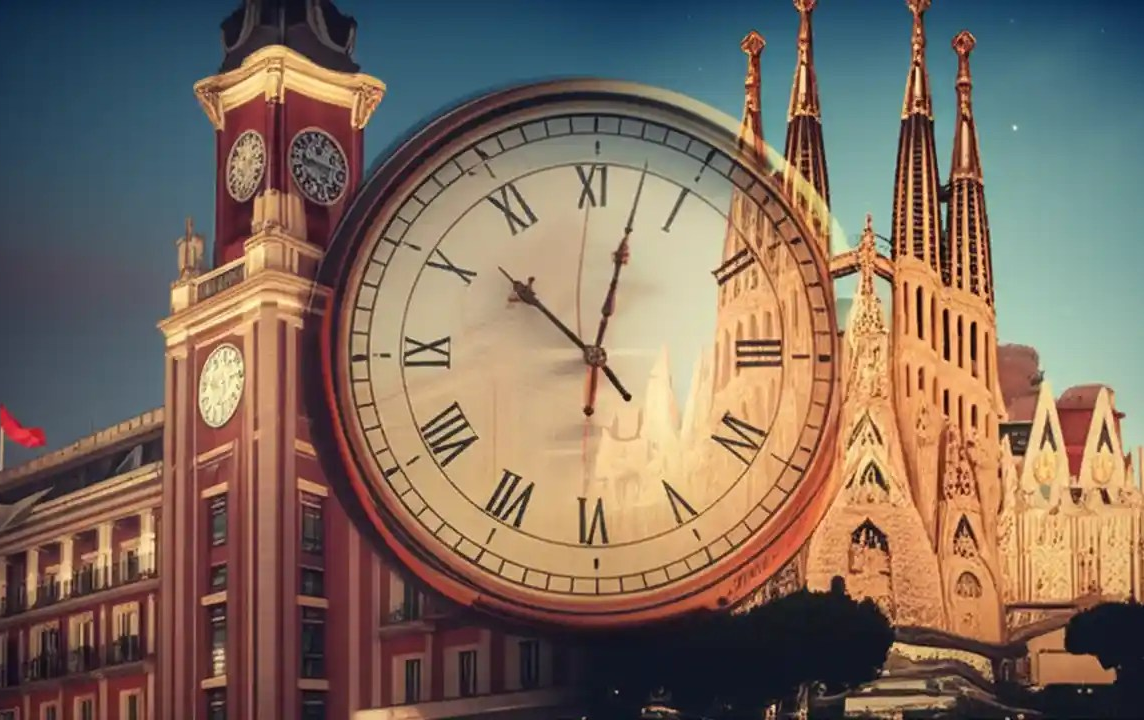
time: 10:02
